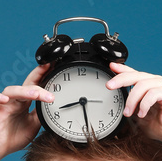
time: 8:28
